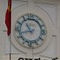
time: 10:42
